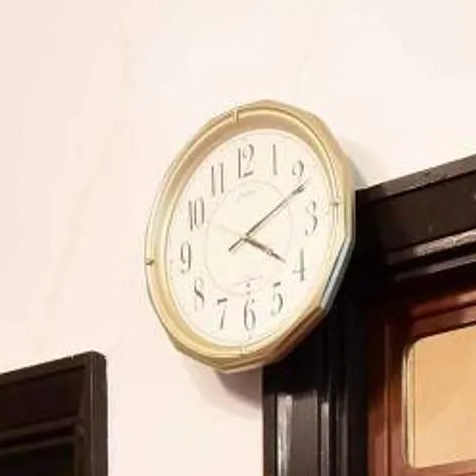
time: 4:11
